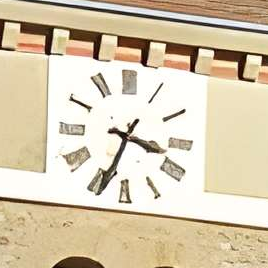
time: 3:33
